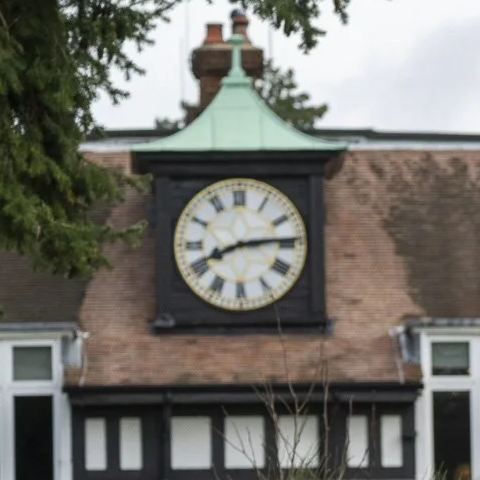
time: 8:14
